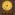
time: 9:34
